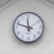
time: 11:48
